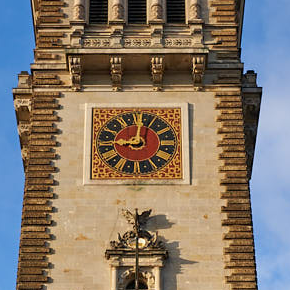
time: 9:01
